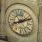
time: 8:11
